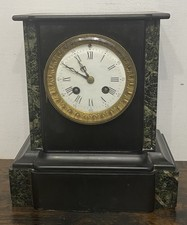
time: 10:50
